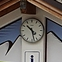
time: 10:28
